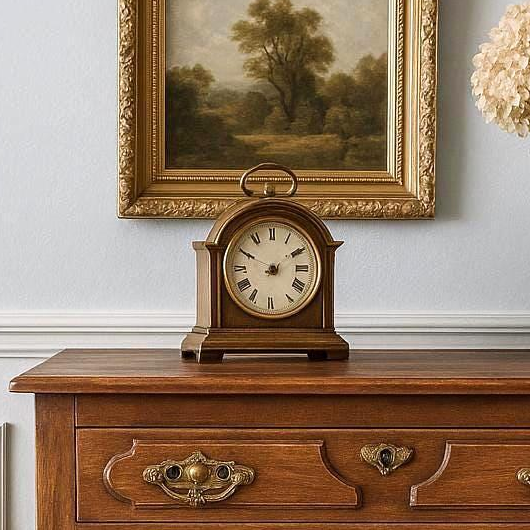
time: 1:50
